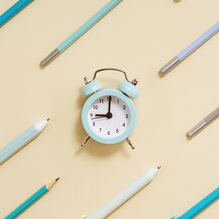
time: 9:00
